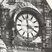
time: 3:58
